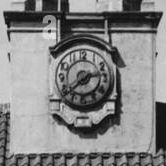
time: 2:38
